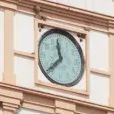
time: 11:37
